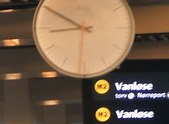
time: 8:50
